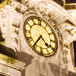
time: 4:36
